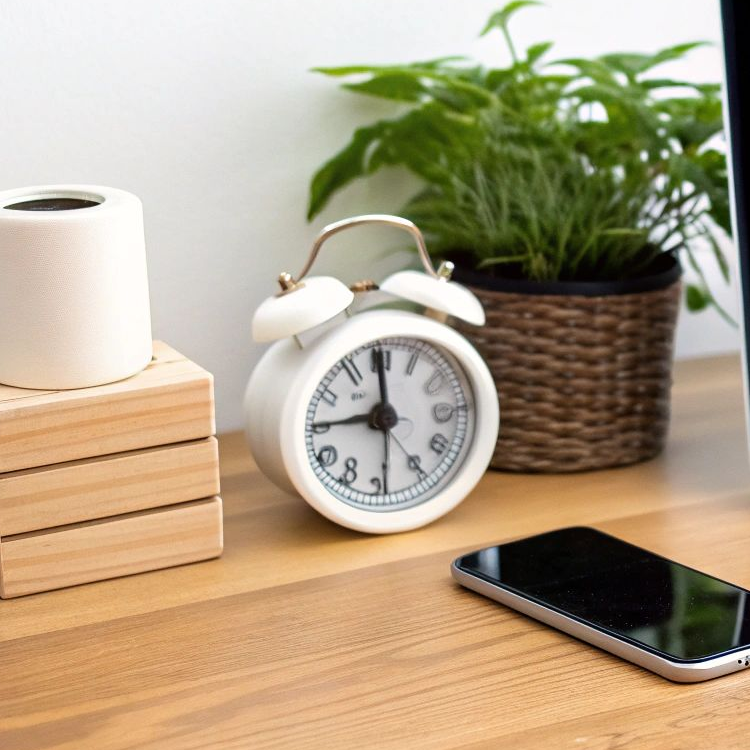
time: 9:00
